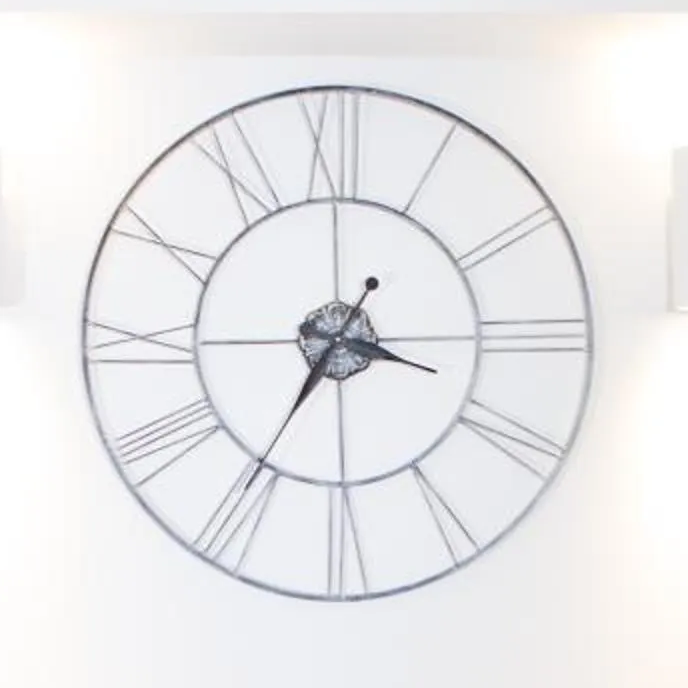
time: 3:35
